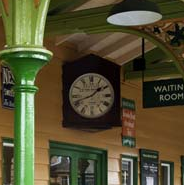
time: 1:41
